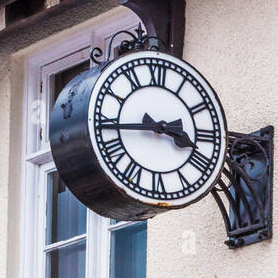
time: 3:43
